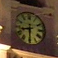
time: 8:30
